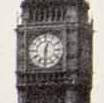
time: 12:30
